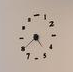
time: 4:39
